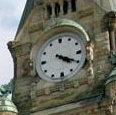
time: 4:20
